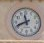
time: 11:41
